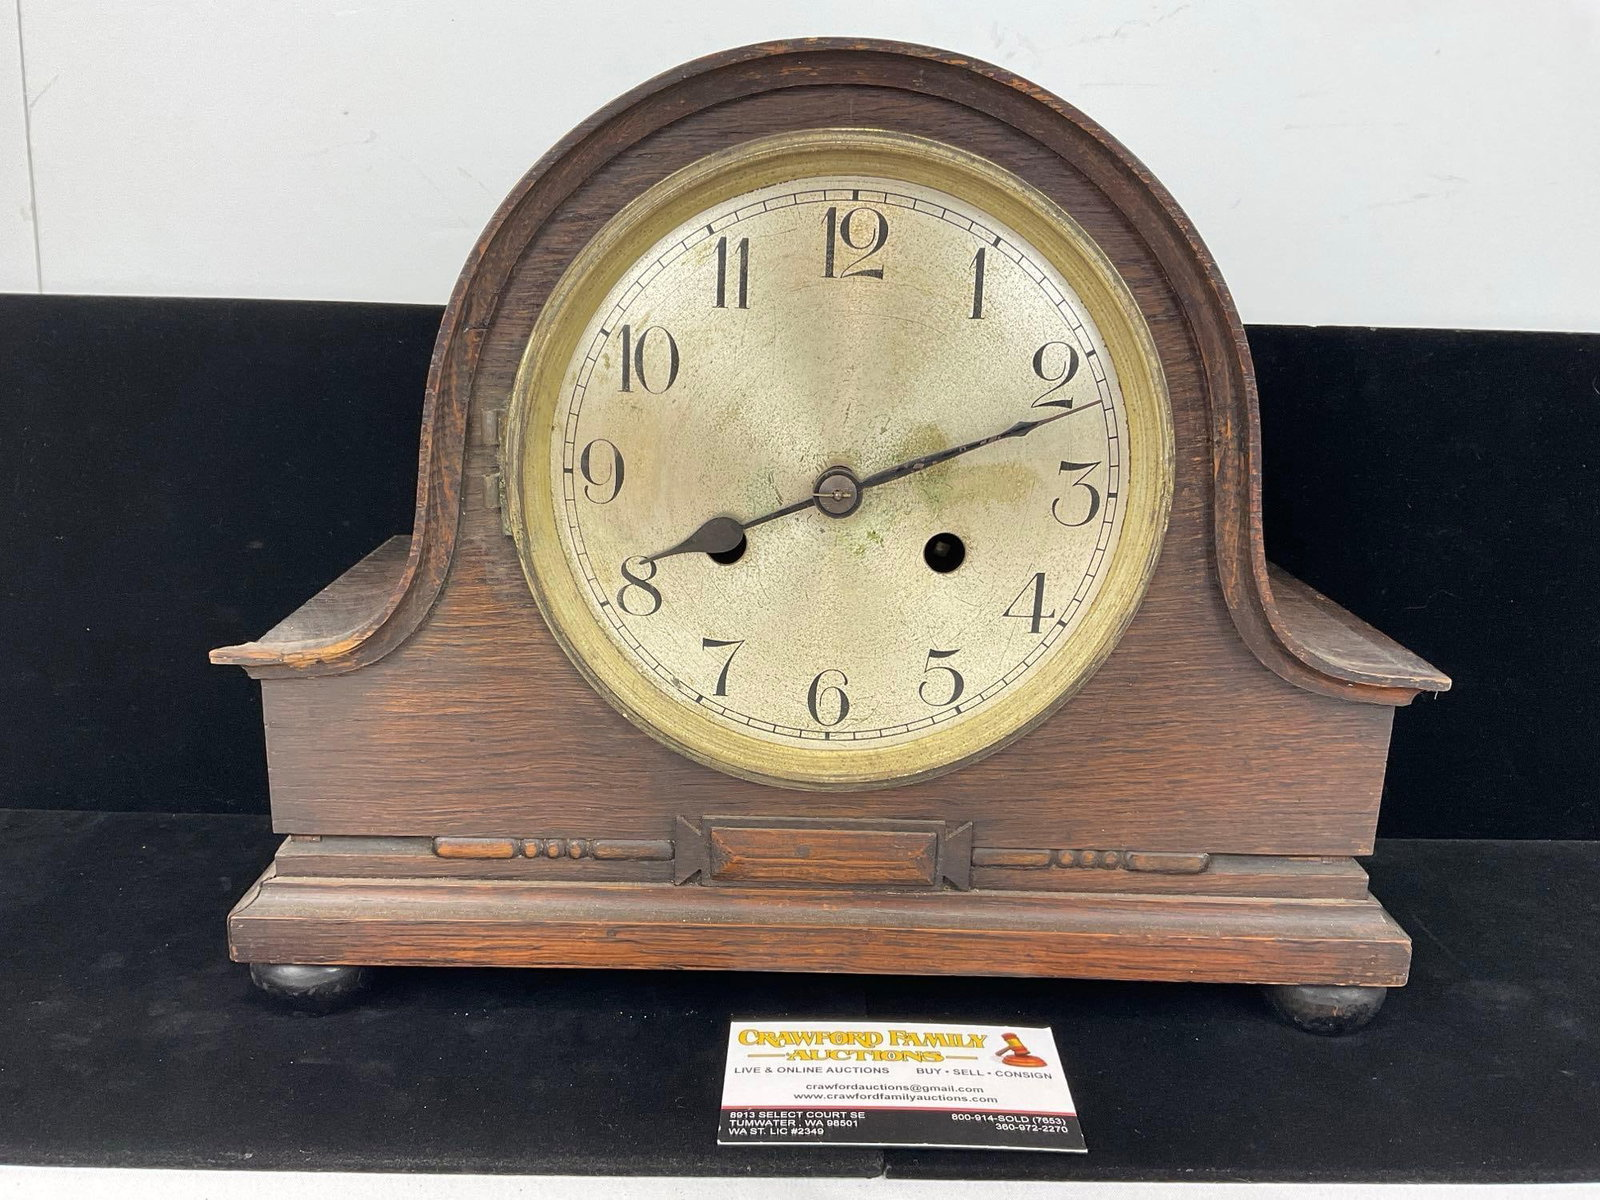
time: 8:11
